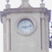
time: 9:12
